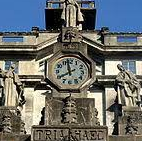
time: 7:58
